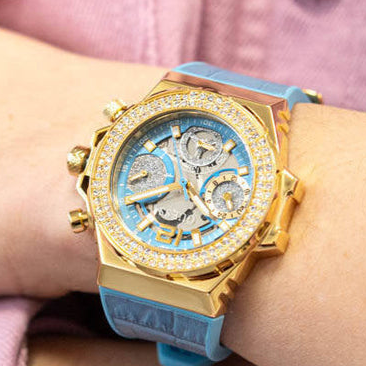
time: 7:40
